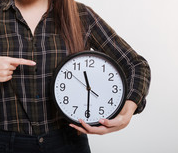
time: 11:29
